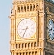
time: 8:34
